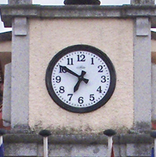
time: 6:50
